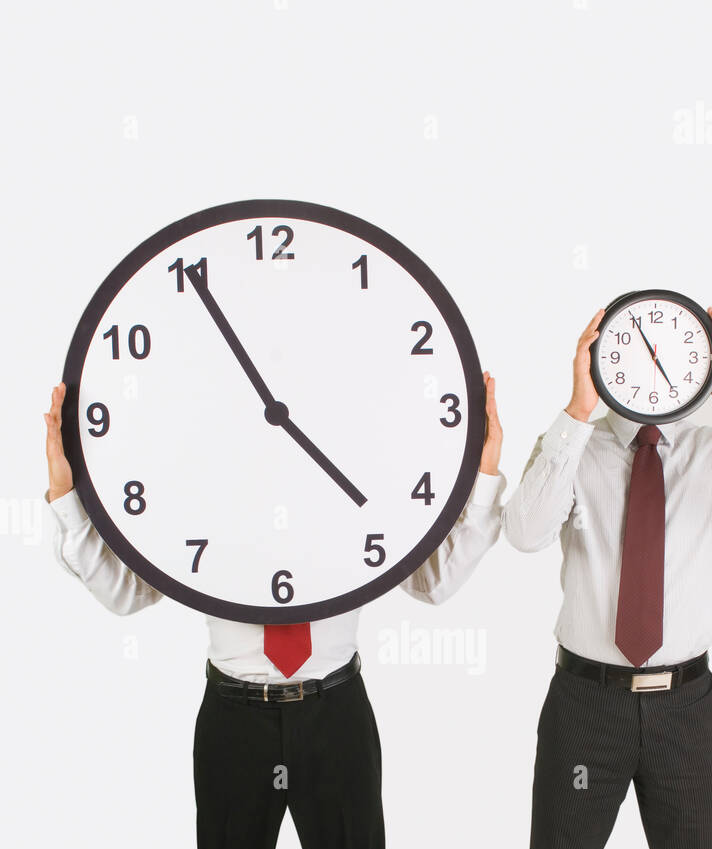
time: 4:55
